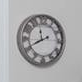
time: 11:40
